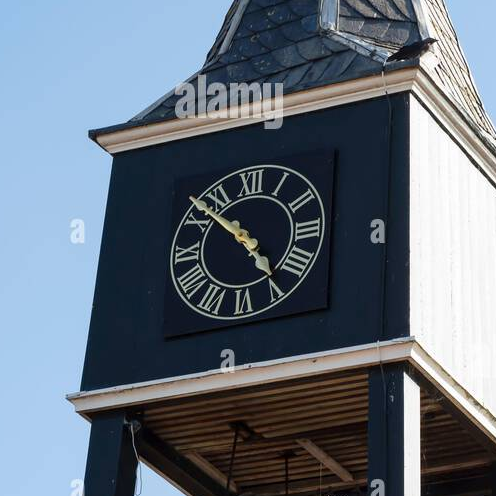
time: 4:52
